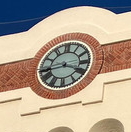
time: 3:43
